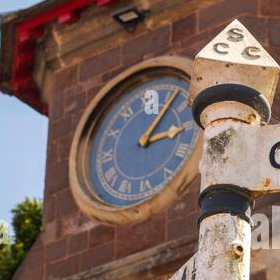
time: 3:06
